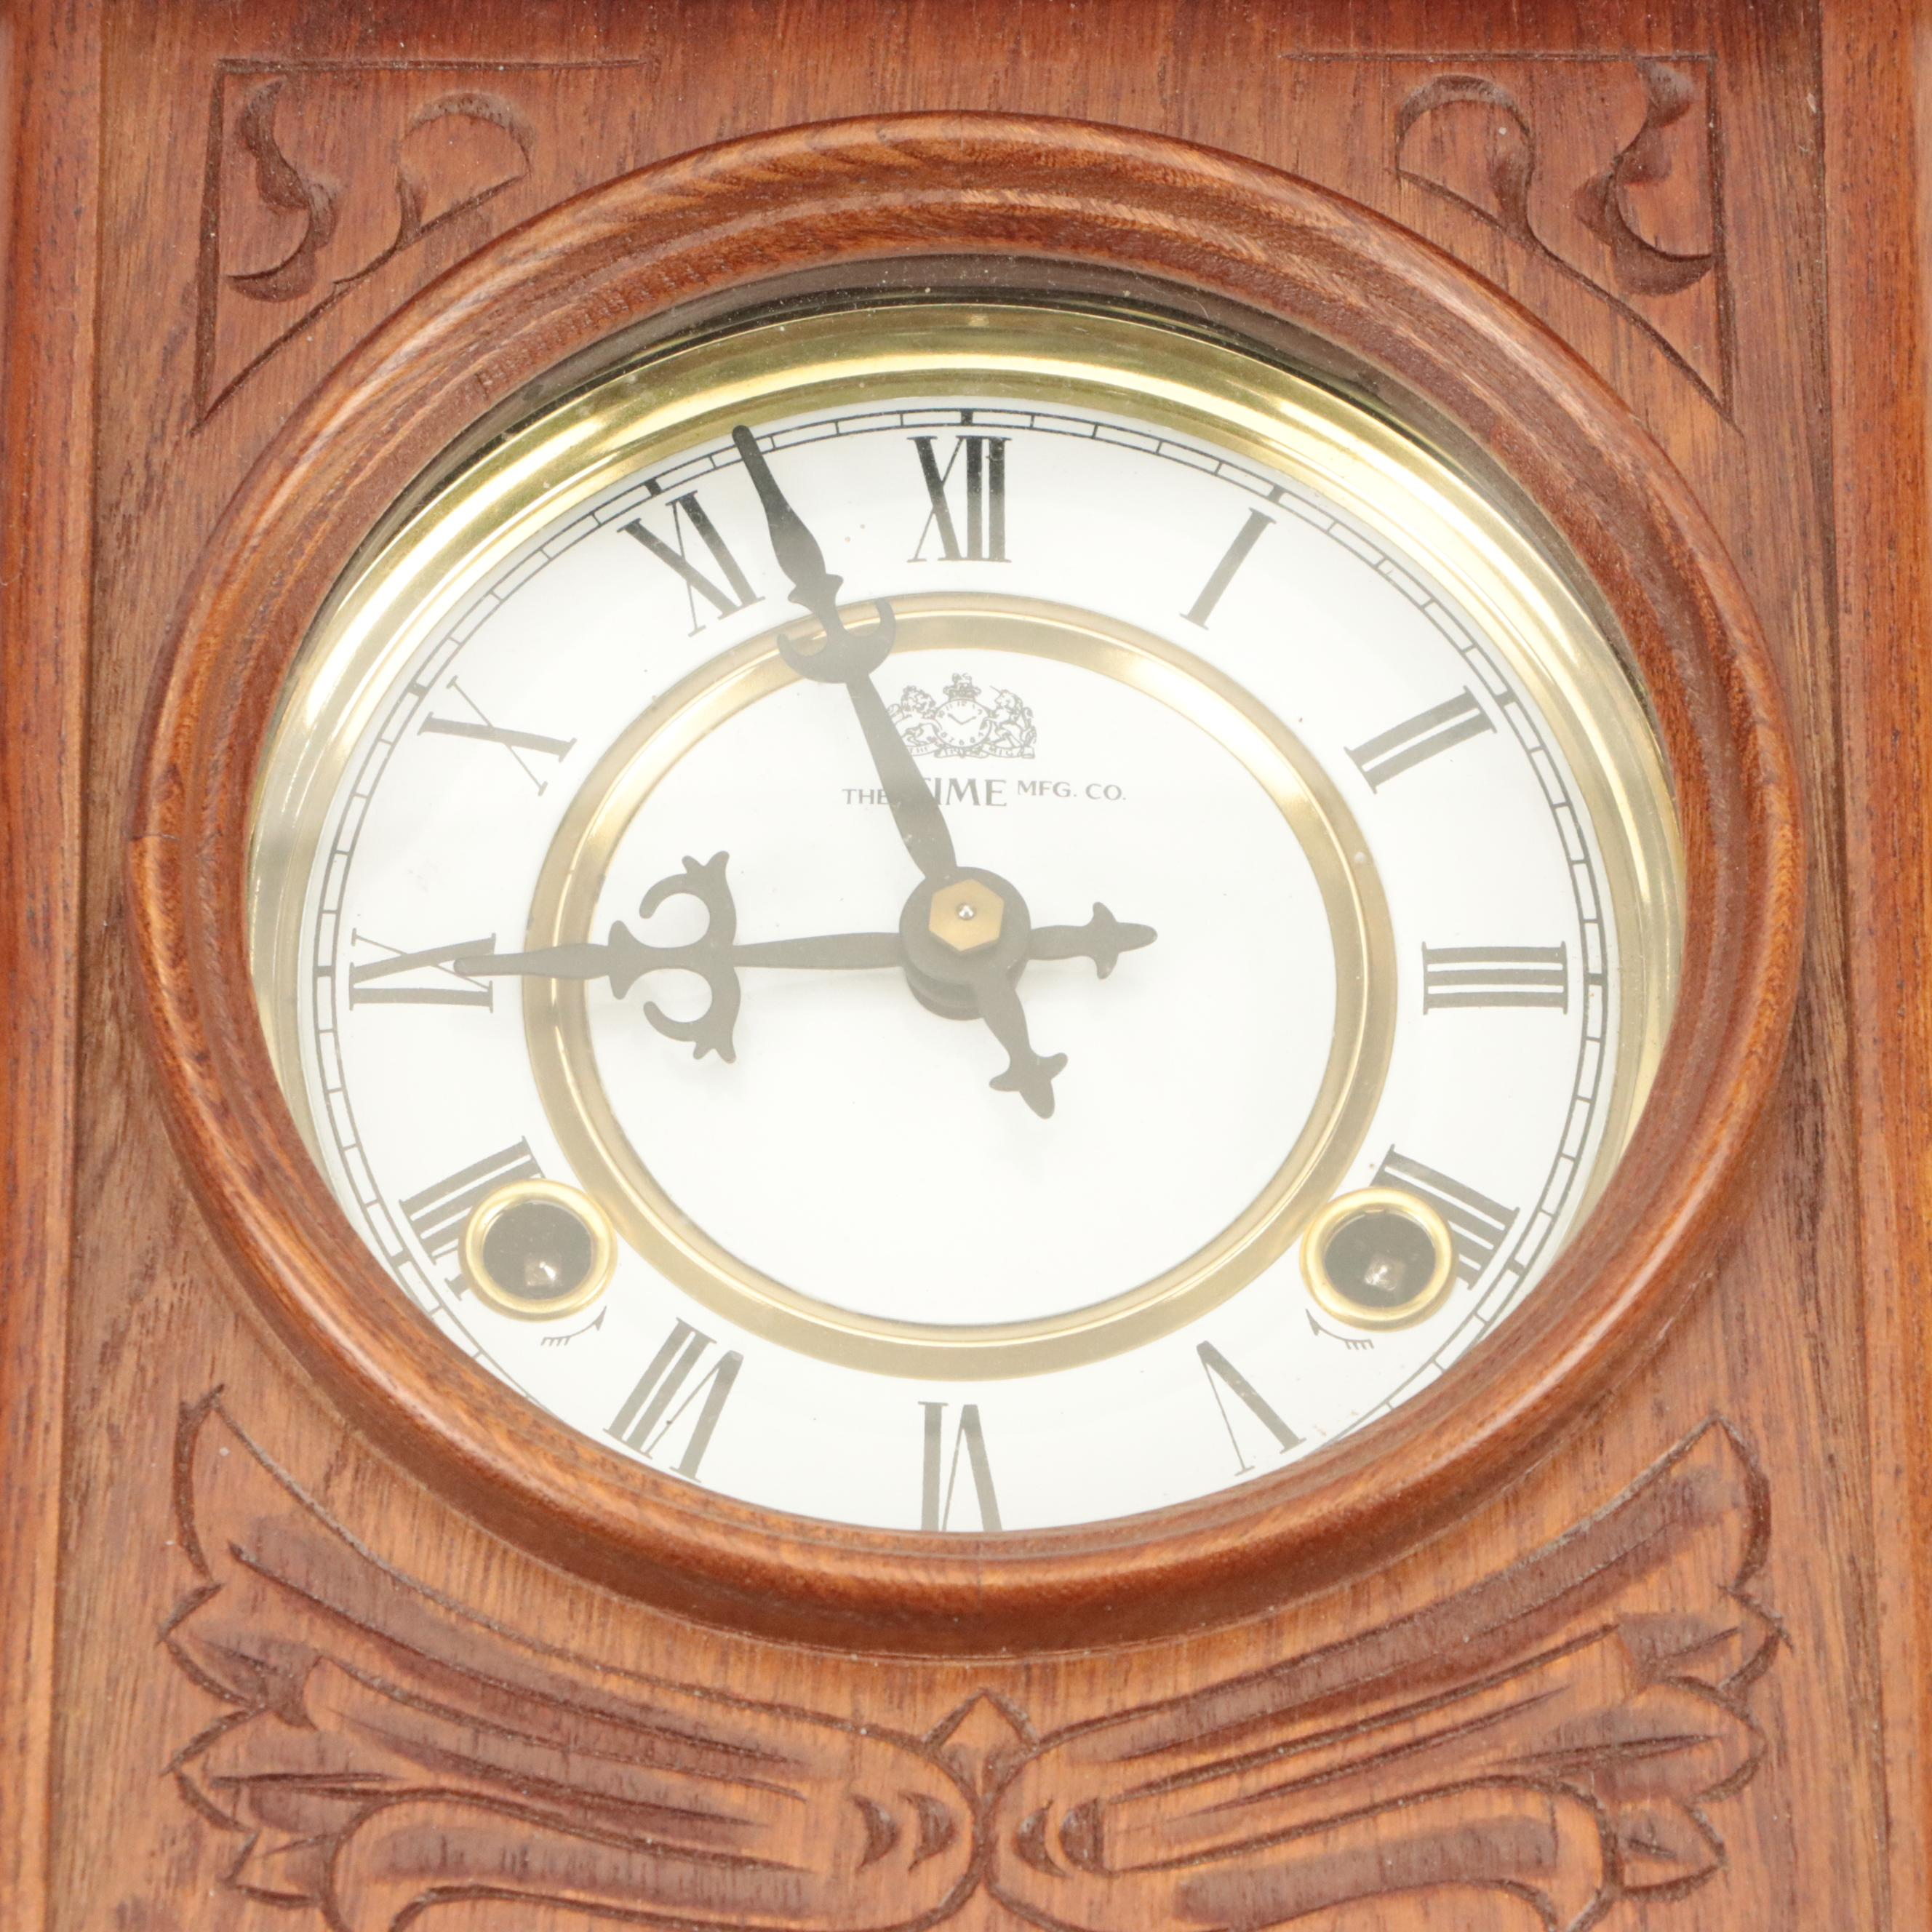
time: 8:56
